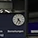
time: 4:35
